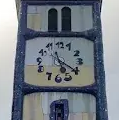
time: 5:21
